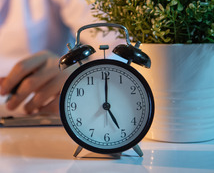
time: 5:00
